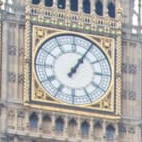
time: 1:05
